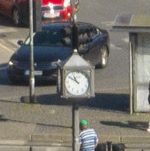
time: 10:50
